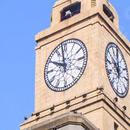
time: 9:58
